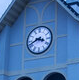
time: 3:41
